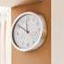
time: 11:50
